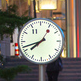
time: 7:42
